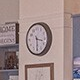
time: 3:29
